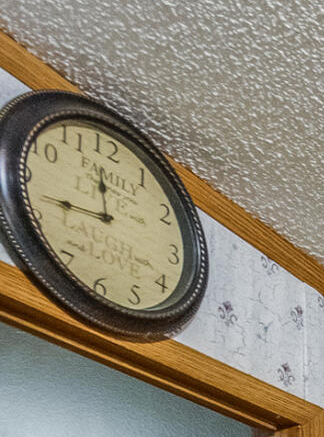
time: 11:43
